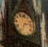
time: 7:12
